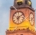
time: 6:08
